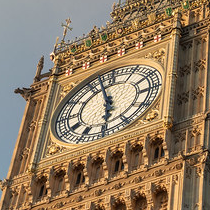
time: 5:57
